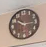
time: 10:14
